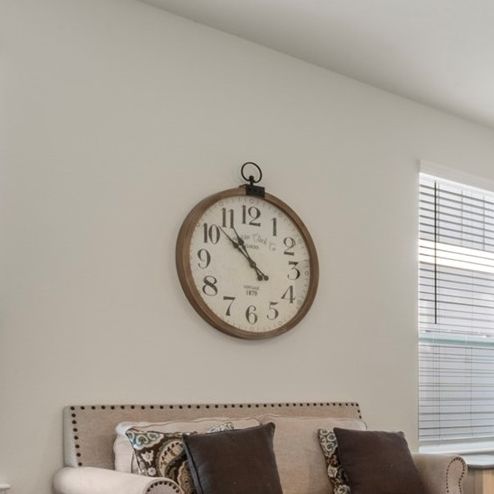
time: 10:51
